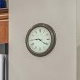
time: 9:20
